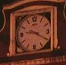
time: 9:20
